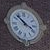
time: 3:52
